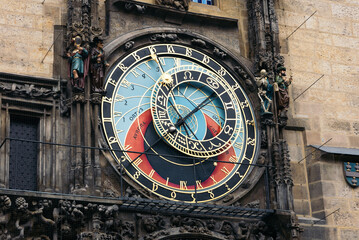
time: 1:37
